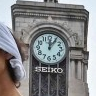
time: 12:05
